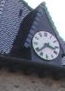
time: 3:38
